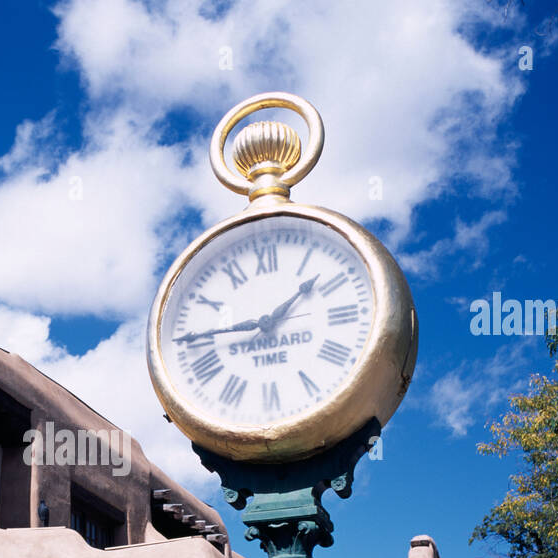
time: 1:44
